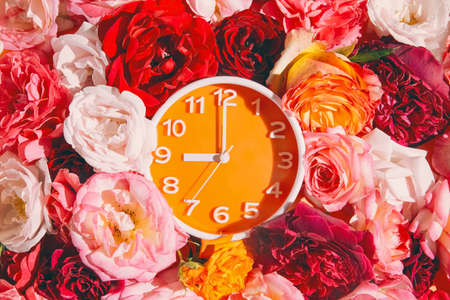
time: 9:00
